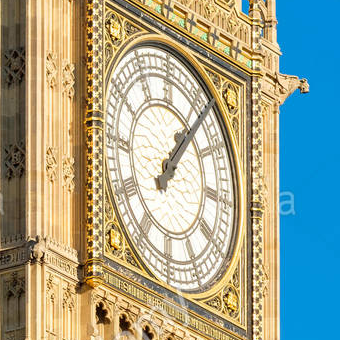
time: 1:06
